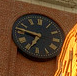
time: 6:46
